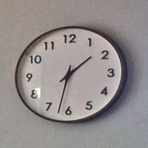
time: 1:32
